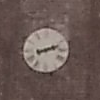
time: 2:12
